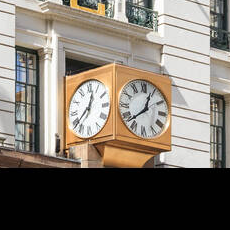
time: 12:38
